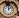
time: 12:07
